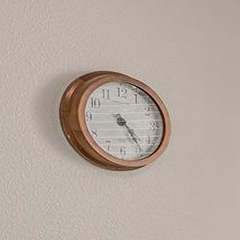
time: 4:23
